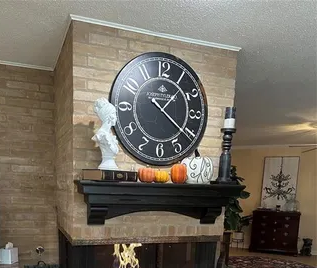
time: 1:21
